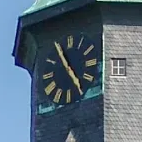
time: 4:54
